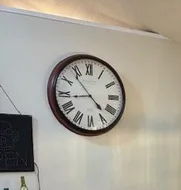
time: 4:43
